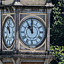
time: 11:00
